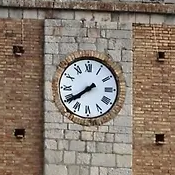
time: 7:39
